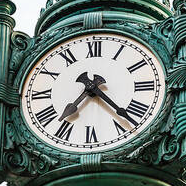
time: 7:22
